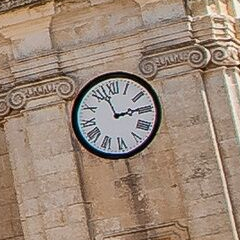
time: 2:57
